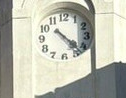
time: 4:22
